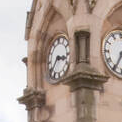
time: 3:37
